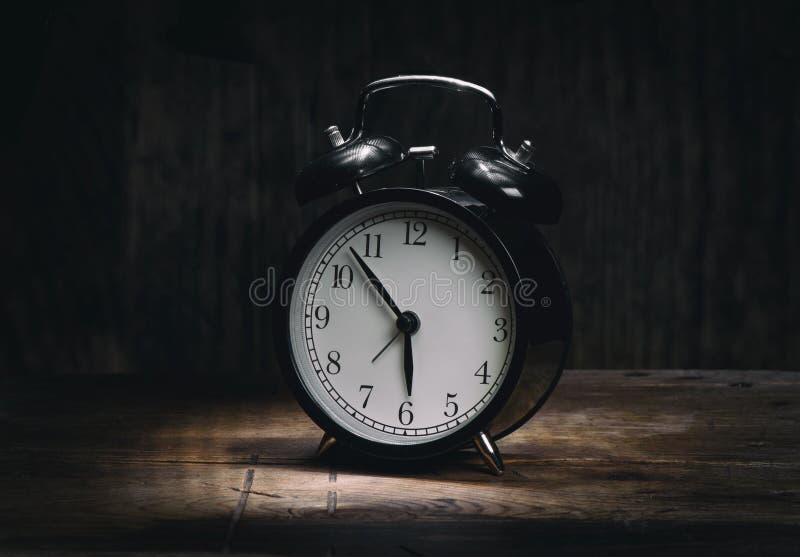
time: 5:53
